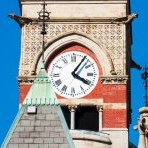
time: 4:05
